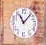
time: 11:07
